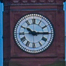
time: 10:14
